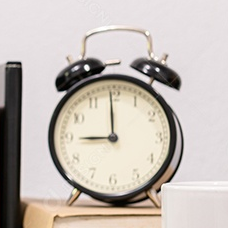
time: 8:59
